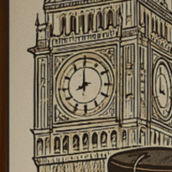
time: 7:59
